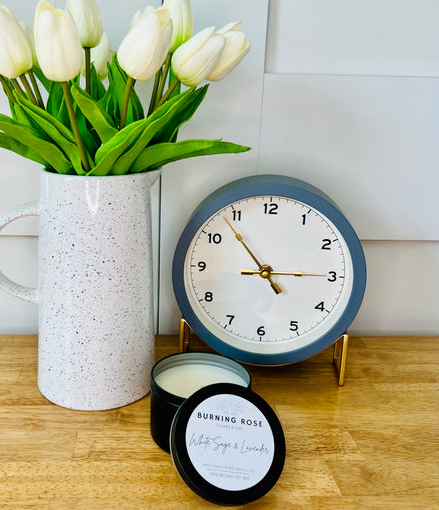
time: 2:53
